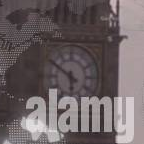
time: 5:50
